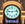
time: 9:13
